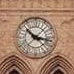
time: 10:17
